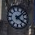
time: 4:07
